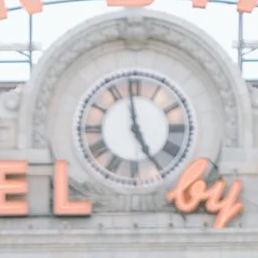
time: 4:58
